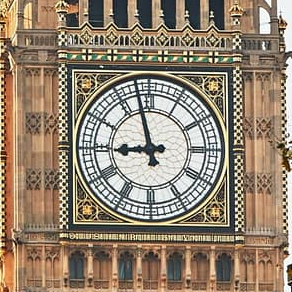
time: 8:57
